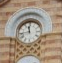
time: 11:43
